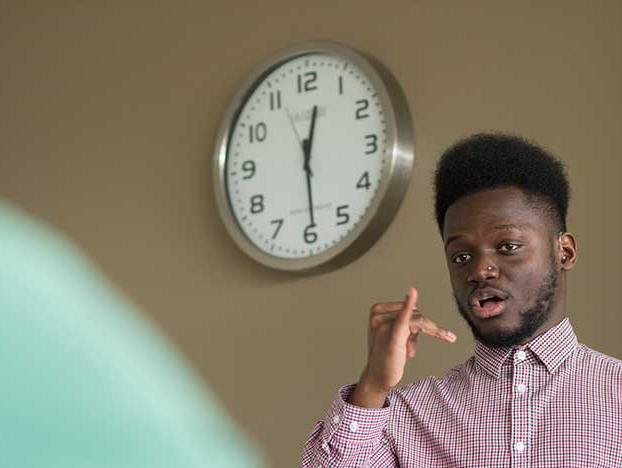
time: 12:29
